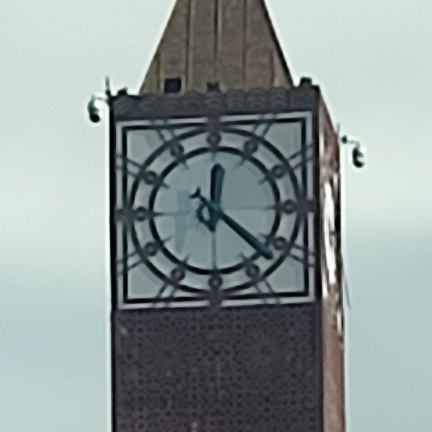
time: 12:22
